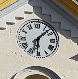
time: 6:07
